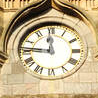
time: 11:46
